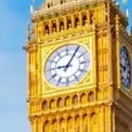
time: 9:05
